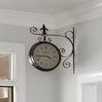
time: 3:44
